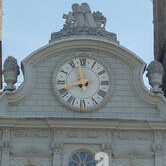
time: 11:42
